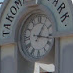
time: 1:16
